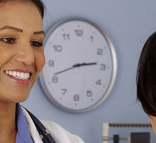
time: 2:41
